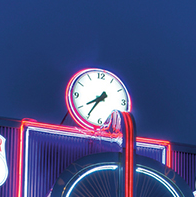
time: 7:35
